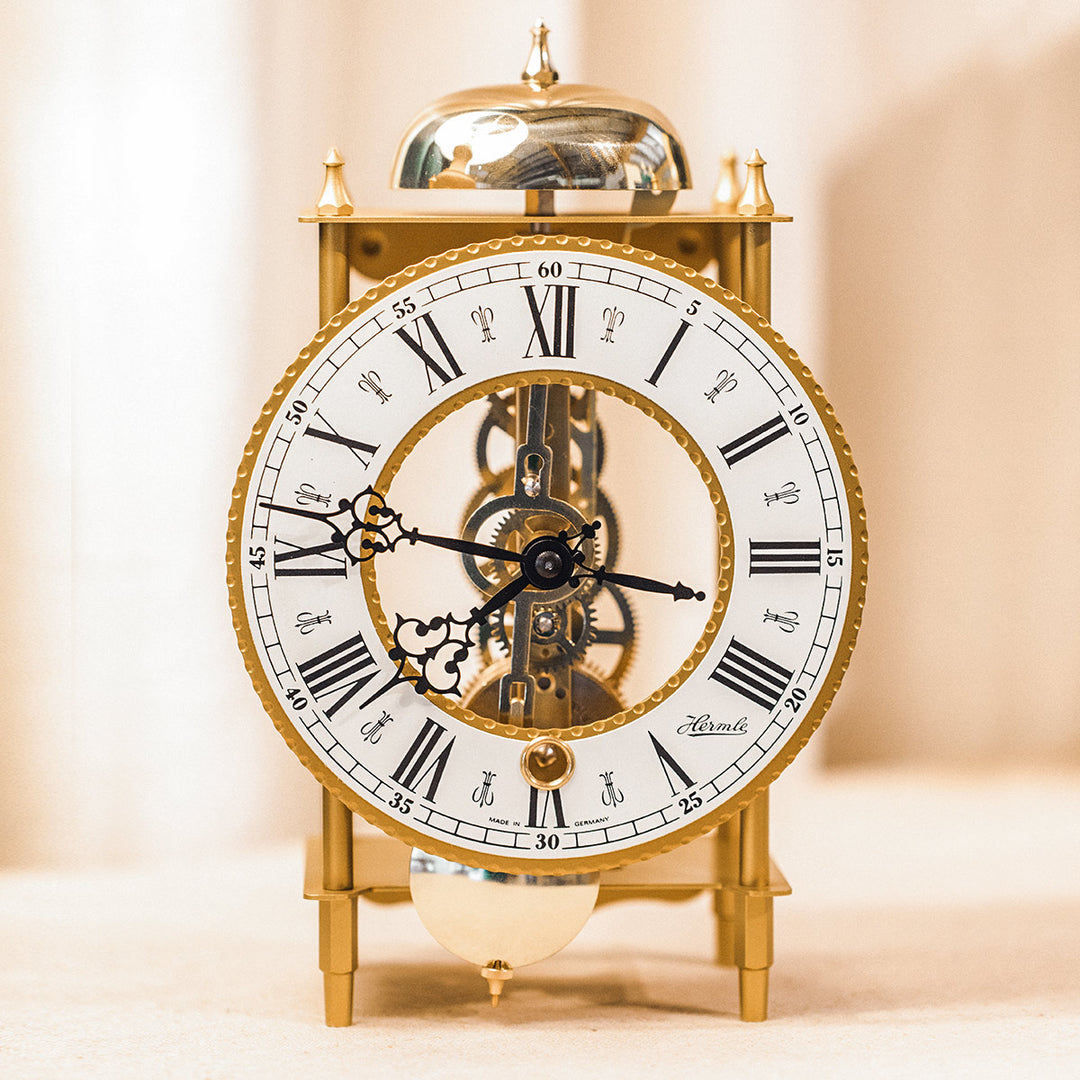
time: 11:46
